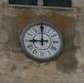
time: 8:59
